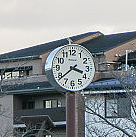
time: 3:38
